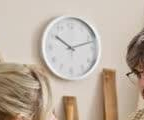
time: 10:12
